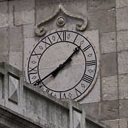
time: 1:40
